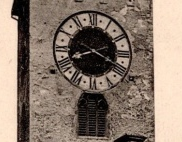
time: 8:19
